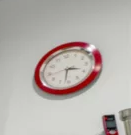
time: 3:32
